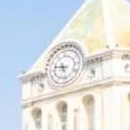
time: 9:27
